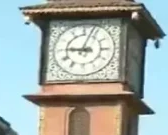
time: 9:03
